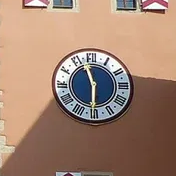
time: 5:57
